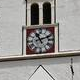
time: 11:11
